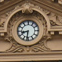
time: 8:31
